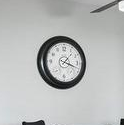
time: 1:18
